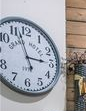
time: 2:56
